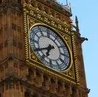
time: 6:40
